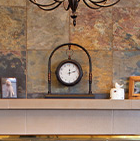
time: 12:12
